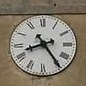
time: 8:24
